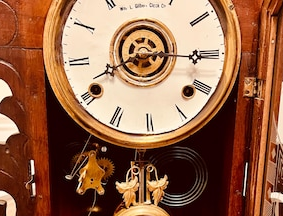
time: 8:15
